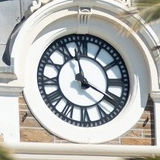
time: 3:57
